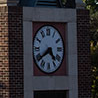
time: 4:39
